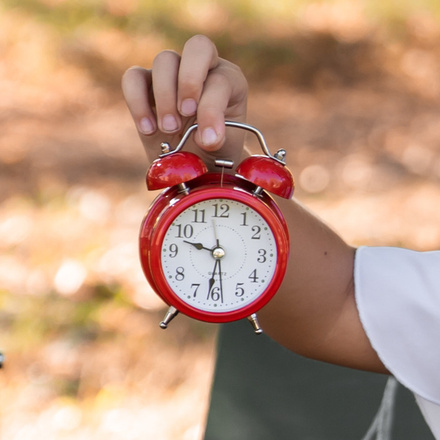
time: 9:31
